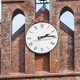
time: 2:14
